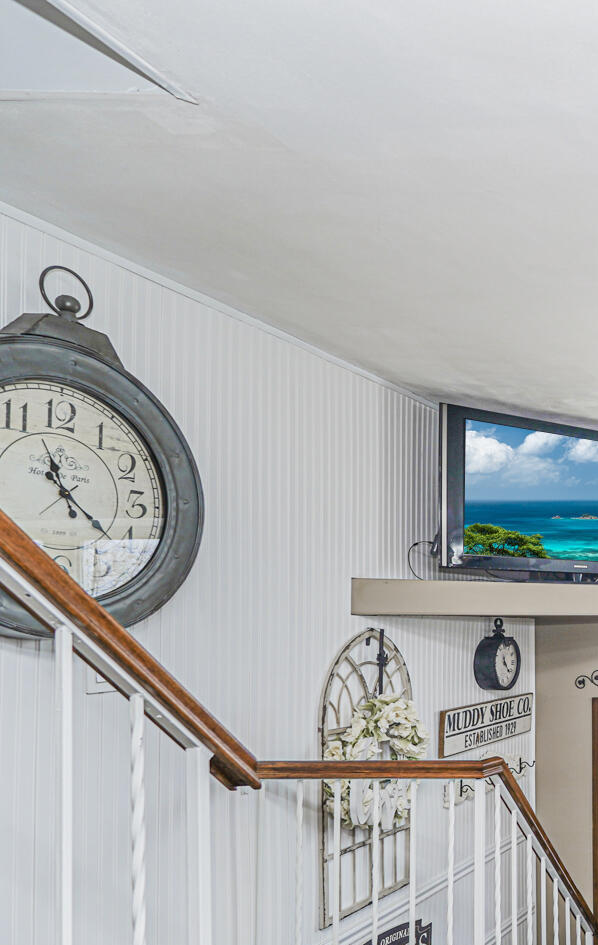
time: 11:21
